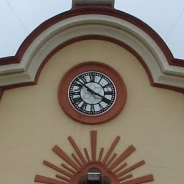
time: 3:51
